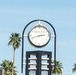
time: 2:41
